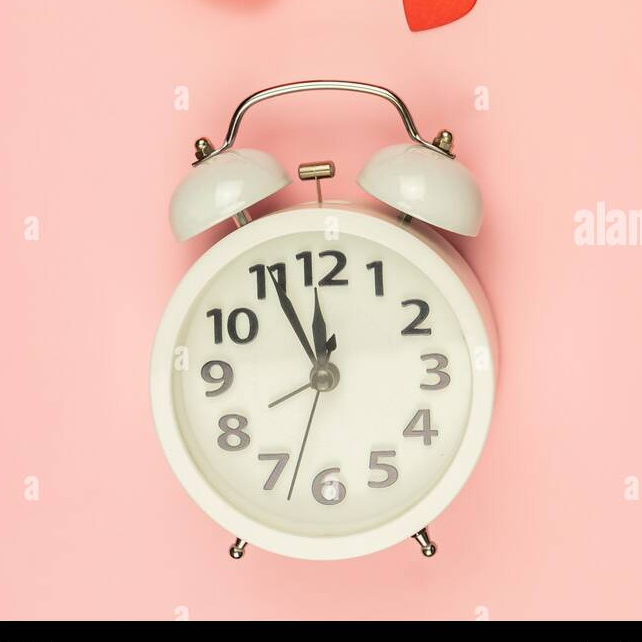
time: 11:55
